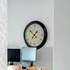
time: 12:52
